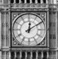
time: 12:09
